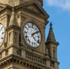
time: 4:08
